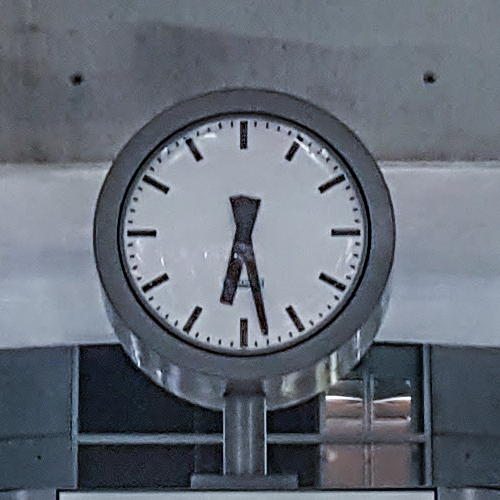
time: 6:28
